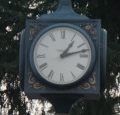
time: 1:12
